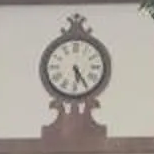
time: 5:24
